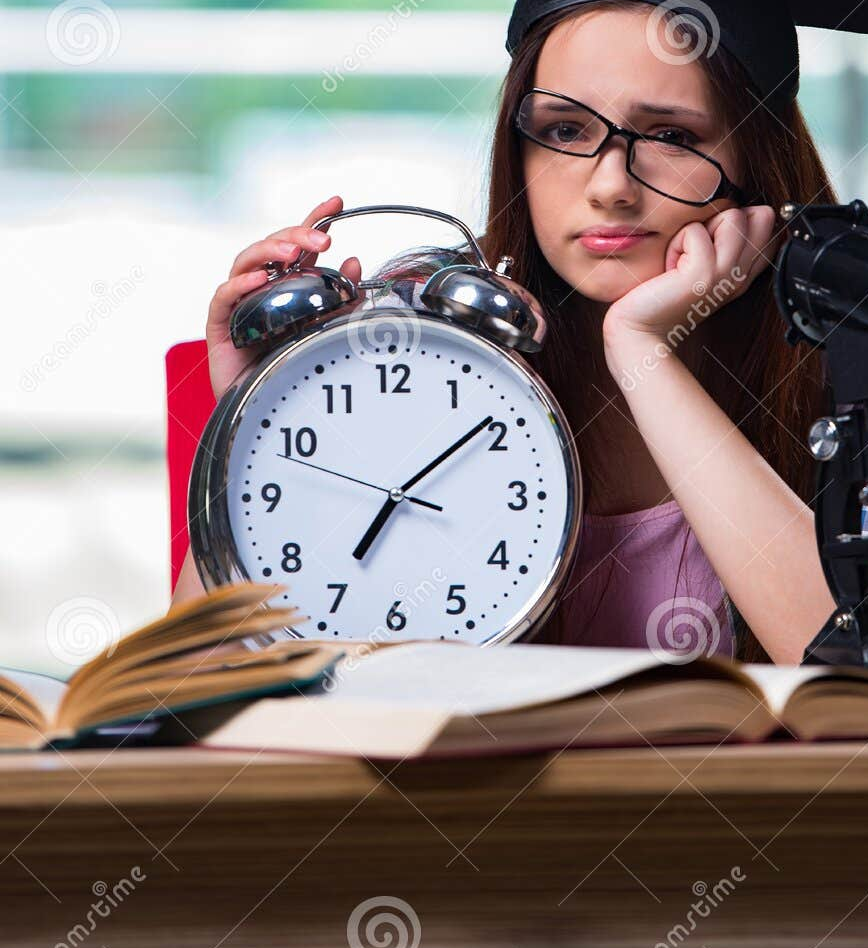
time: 7:08
